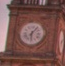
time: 6:06
